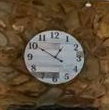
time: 12:50
